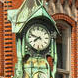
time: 7:47
